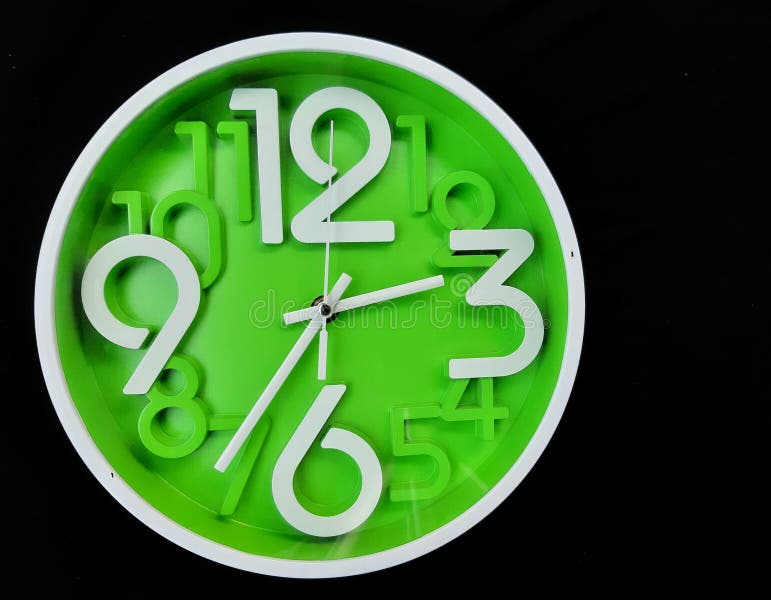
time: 2:35
